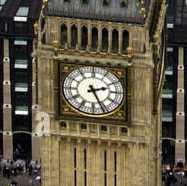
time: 2:26
